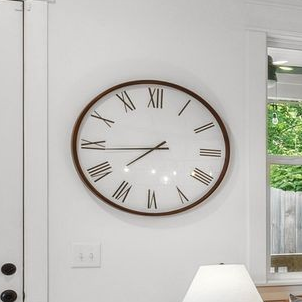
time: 7:44
